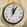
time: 12:04
